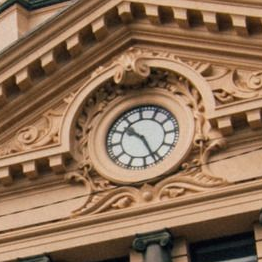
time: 10:26
